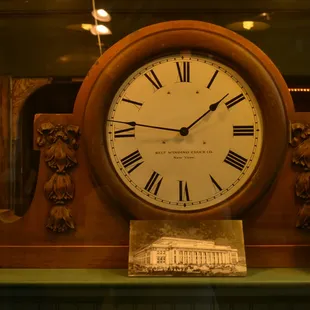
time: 1:46
